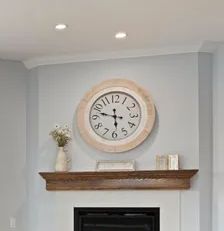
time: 5:47
